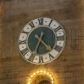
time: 4:34
